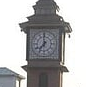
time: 6:59
